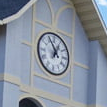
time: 12:55
